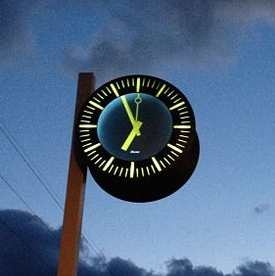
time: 6:55
